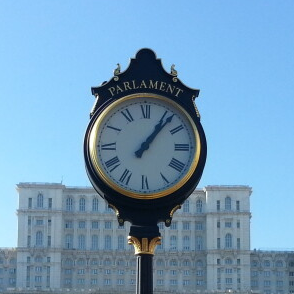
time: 1:07
